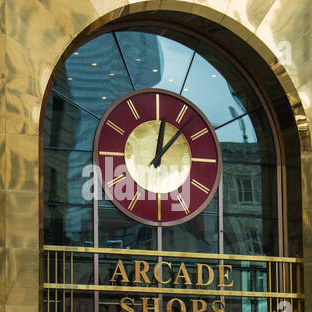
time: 12:07
